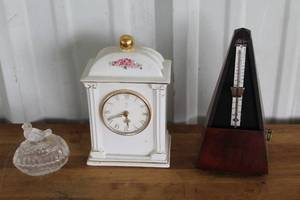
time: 5:42
